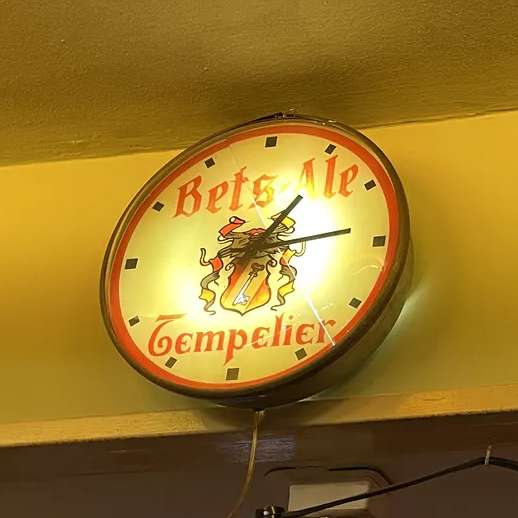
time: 1:13
